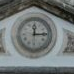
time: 12:14
